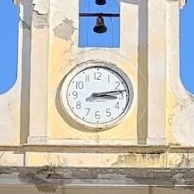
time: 3:13
